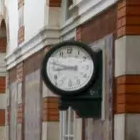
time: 8:47
